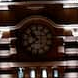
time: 10:39
